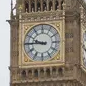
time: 9:45
